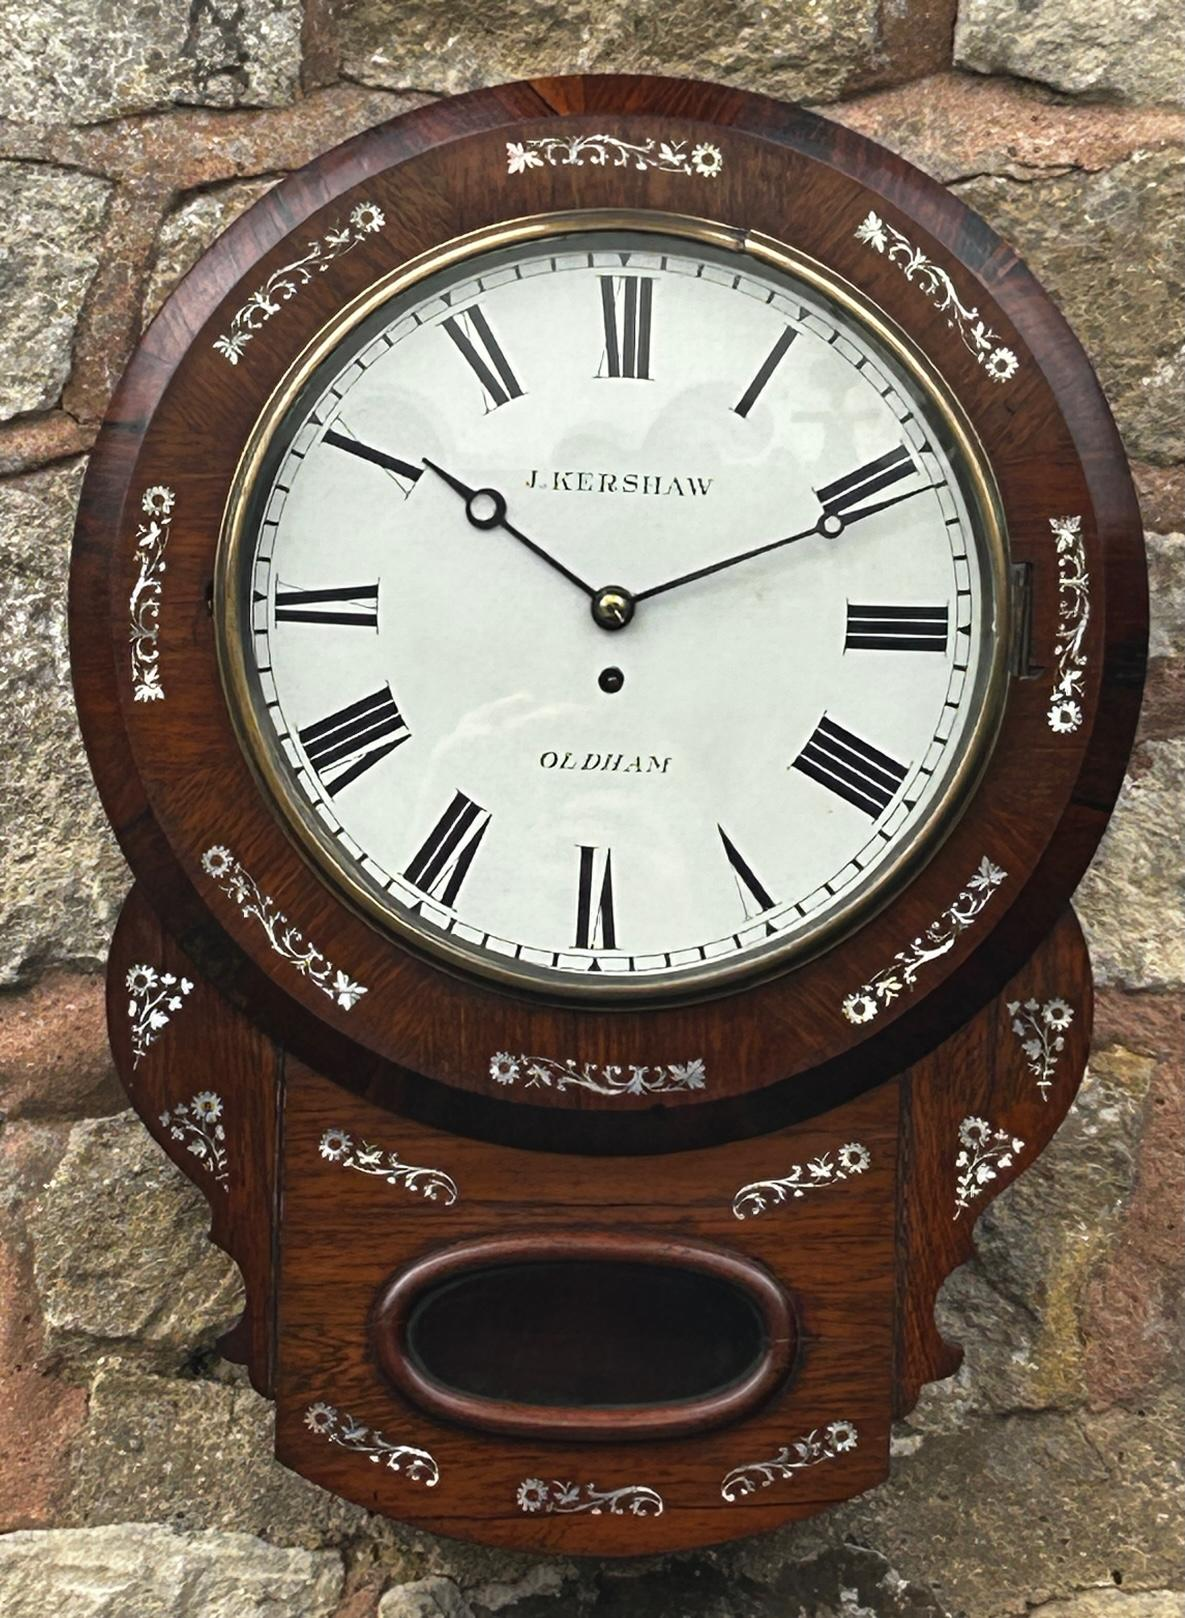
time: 10:10
